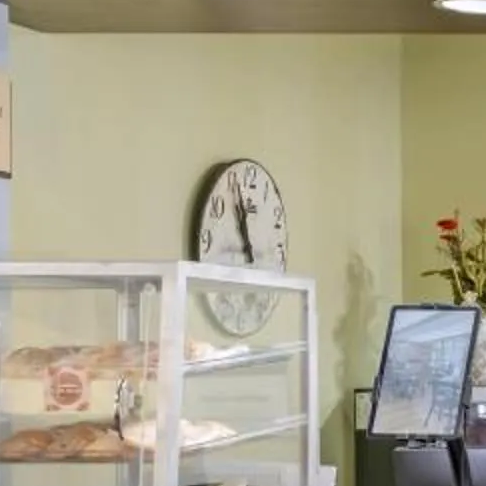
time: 10:56
